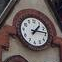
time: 1:13
